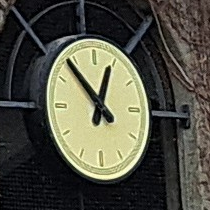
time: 12:53
